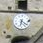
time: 6:21
